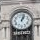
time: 1:02
